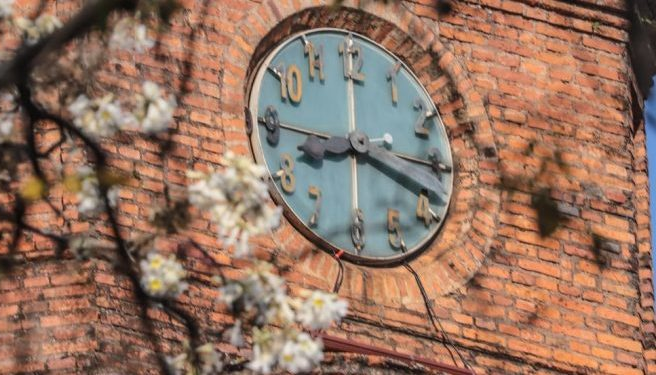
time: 8:18
